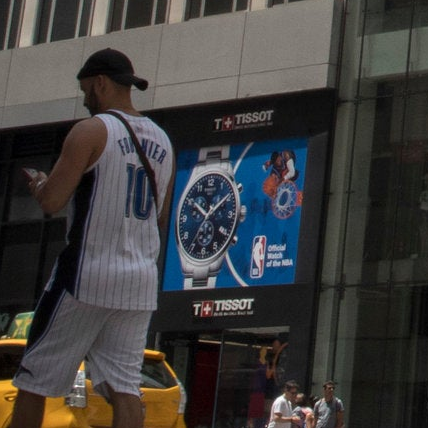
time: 10:09
